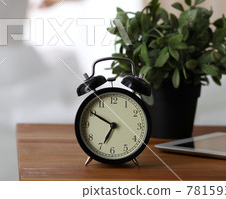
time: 6:50
